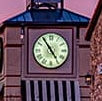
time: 4:54
